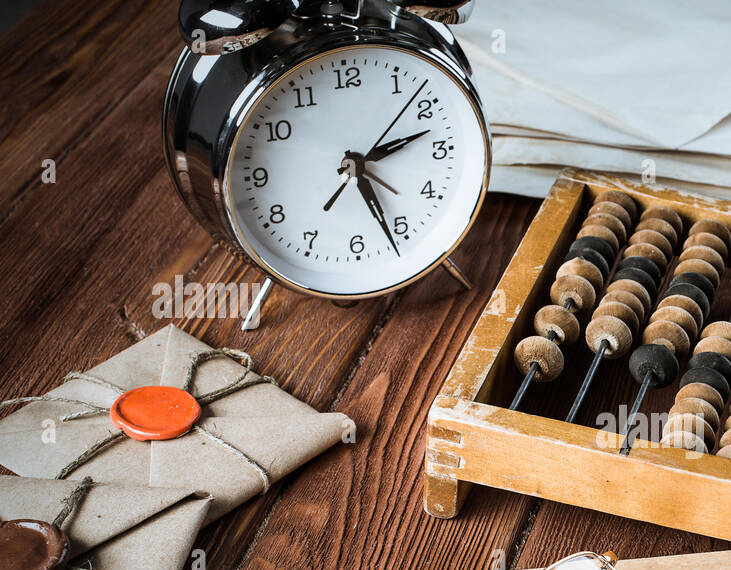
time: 2:26
